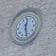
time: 12:27
